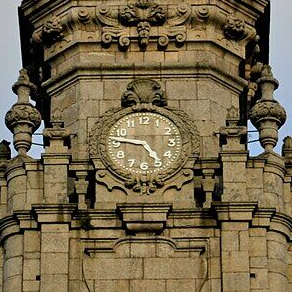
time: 4:46
